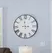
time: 2:58
